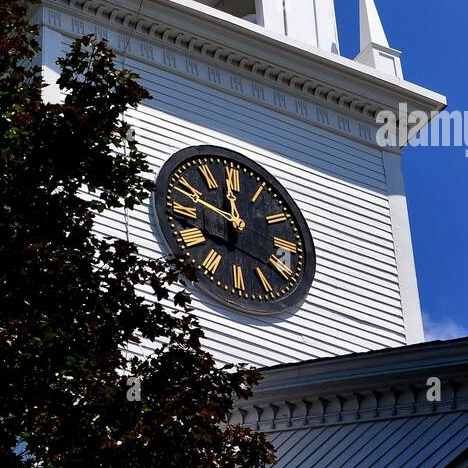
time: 11:48
